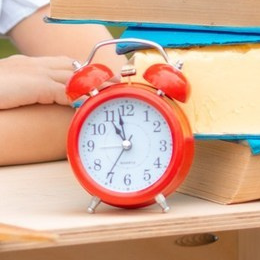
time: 10:58
